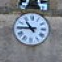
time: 10:45
